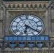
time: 6:20
